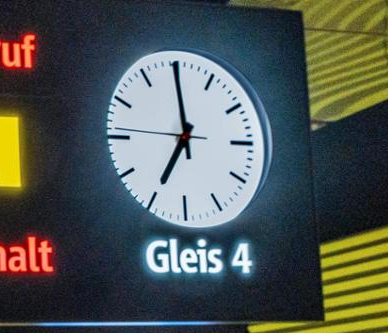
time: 6:59
